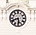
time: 5:41
